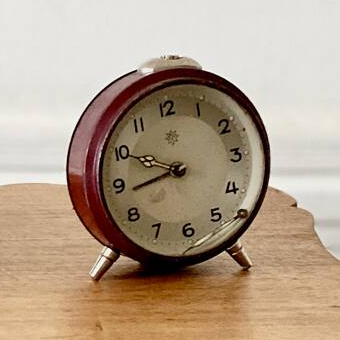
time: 8:49
